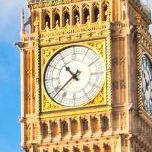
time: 10:38
